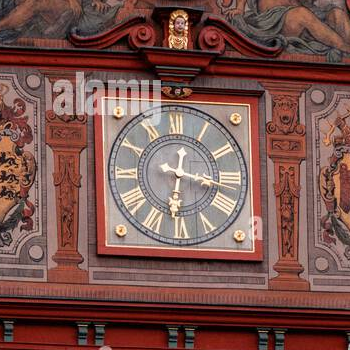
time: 6:17
